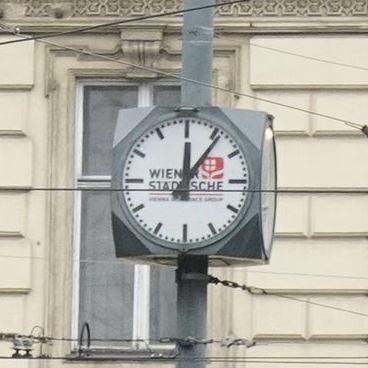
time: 12:06
